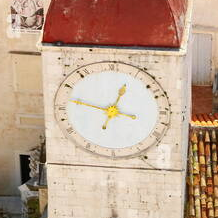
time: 12:47
